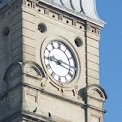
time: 9:17
